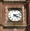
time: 4:12
